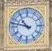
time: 10:47
